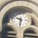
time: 9:31
